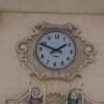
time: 1:49
